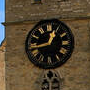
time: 12:43
